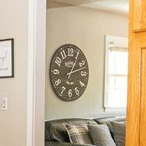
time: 1:12
